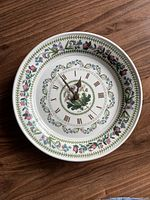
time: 12:54
